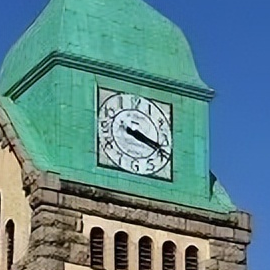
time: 3:18
